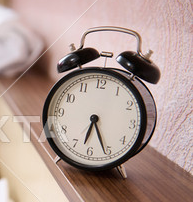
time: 6:26
